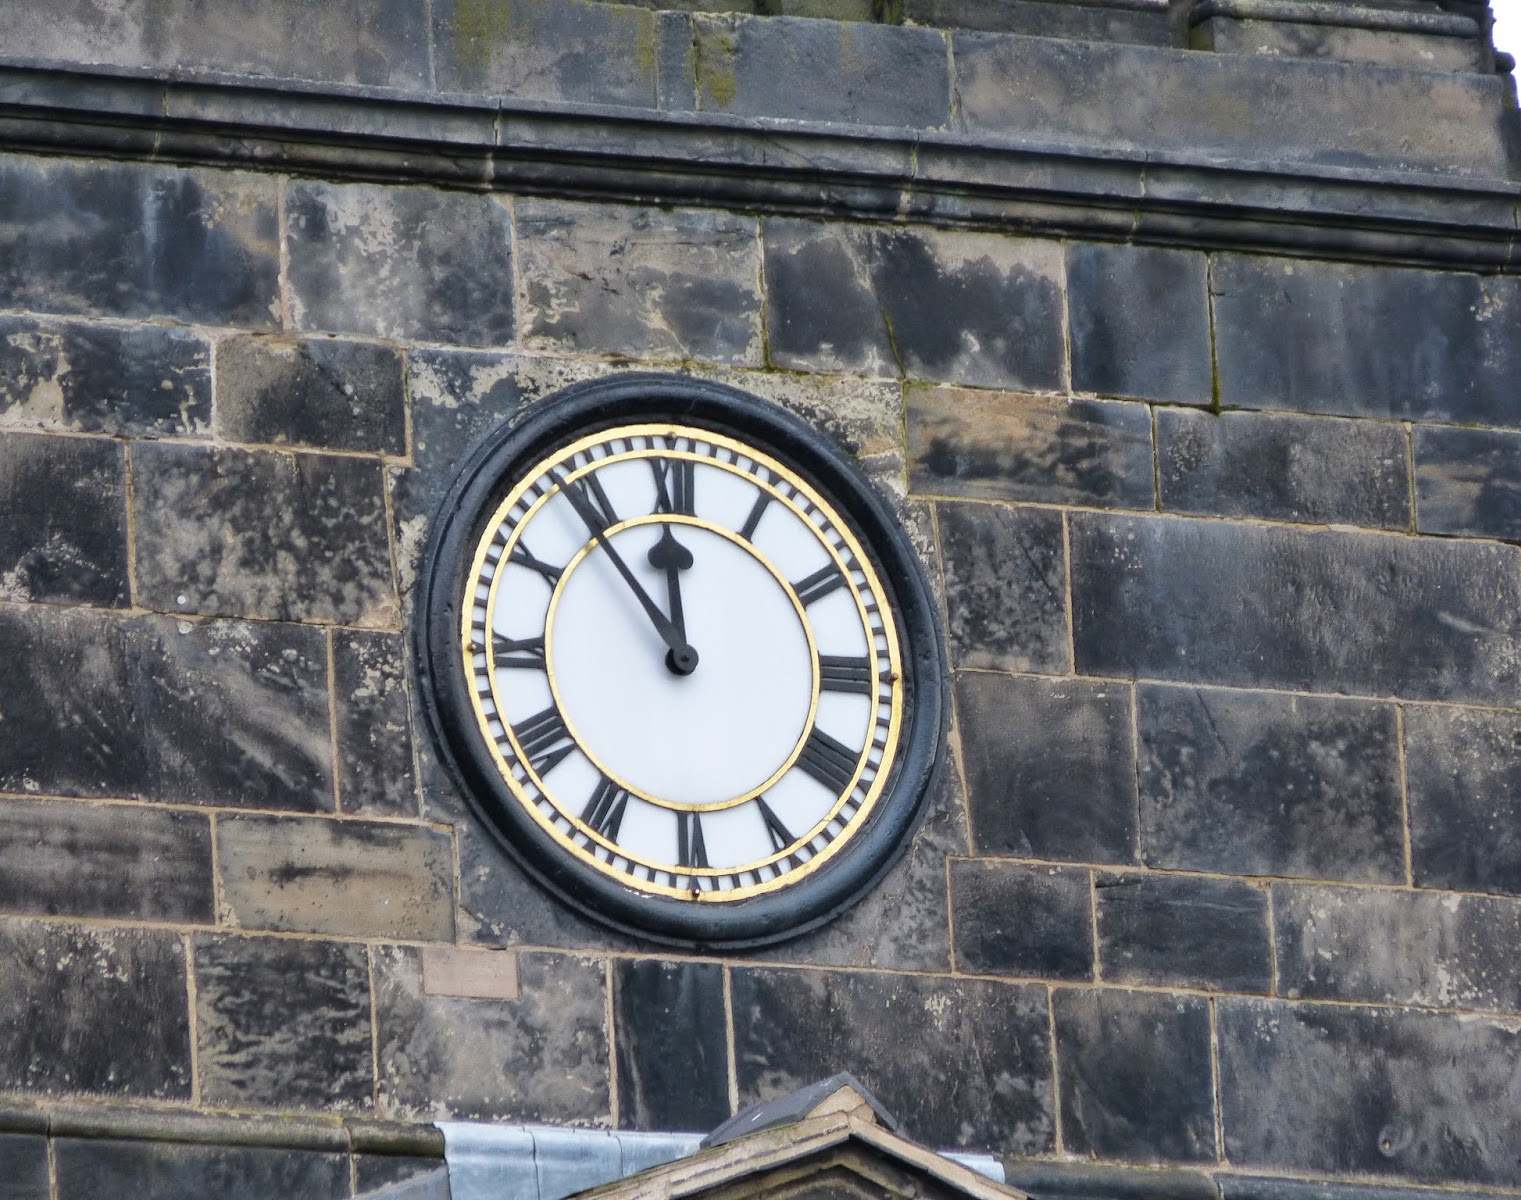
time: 11:53
